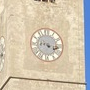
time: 4:16
